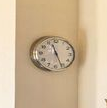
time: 11:26
